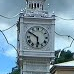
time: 5:50
